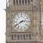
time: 2:40
